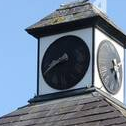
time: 8:40
